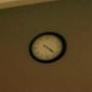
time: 4:22
